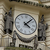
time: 4:07
